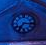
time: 7:15
